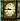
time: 9:45
